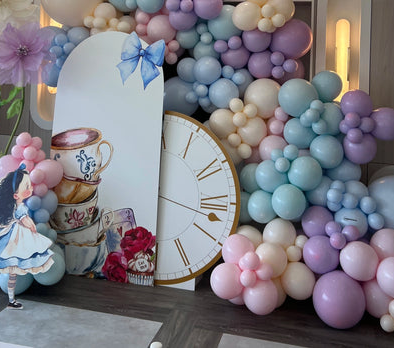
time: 6:00
